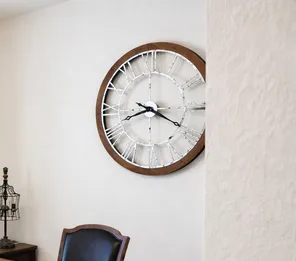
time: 8:19
